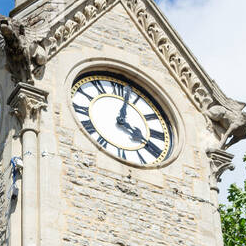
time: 4:02
